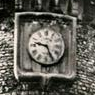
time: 9:25
